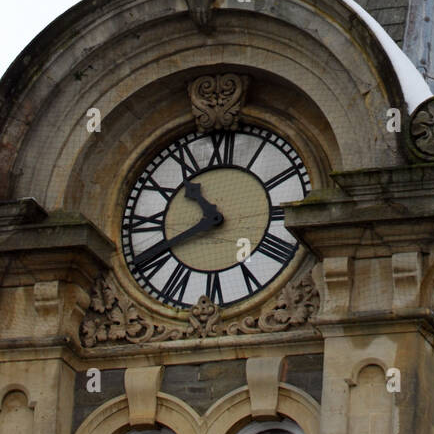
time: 10:40
